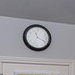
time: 11:18
